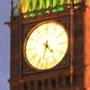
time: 4:32
